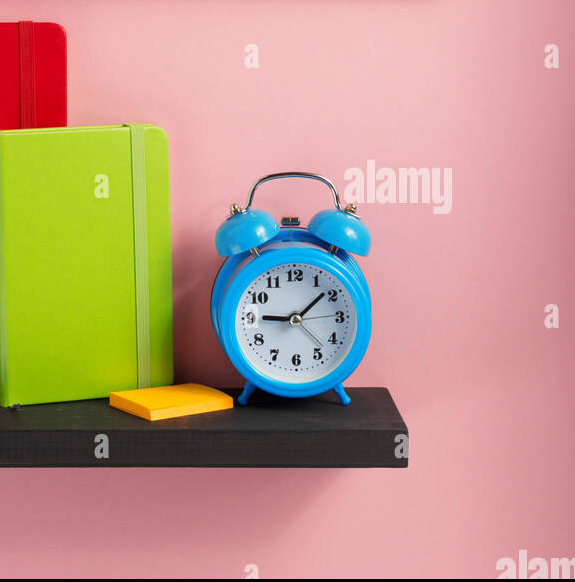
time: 9:08
